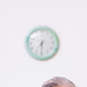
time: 7:30
